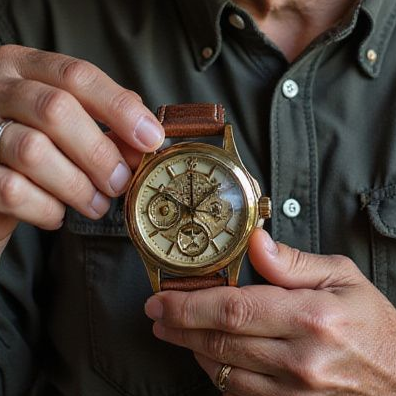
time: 10:00
